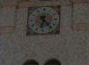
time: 6:23
